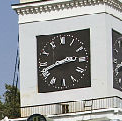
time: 2:41
